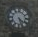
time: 4:26
